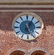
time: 5:05
